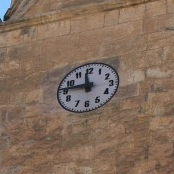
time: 11:46
